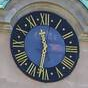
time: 11:32
